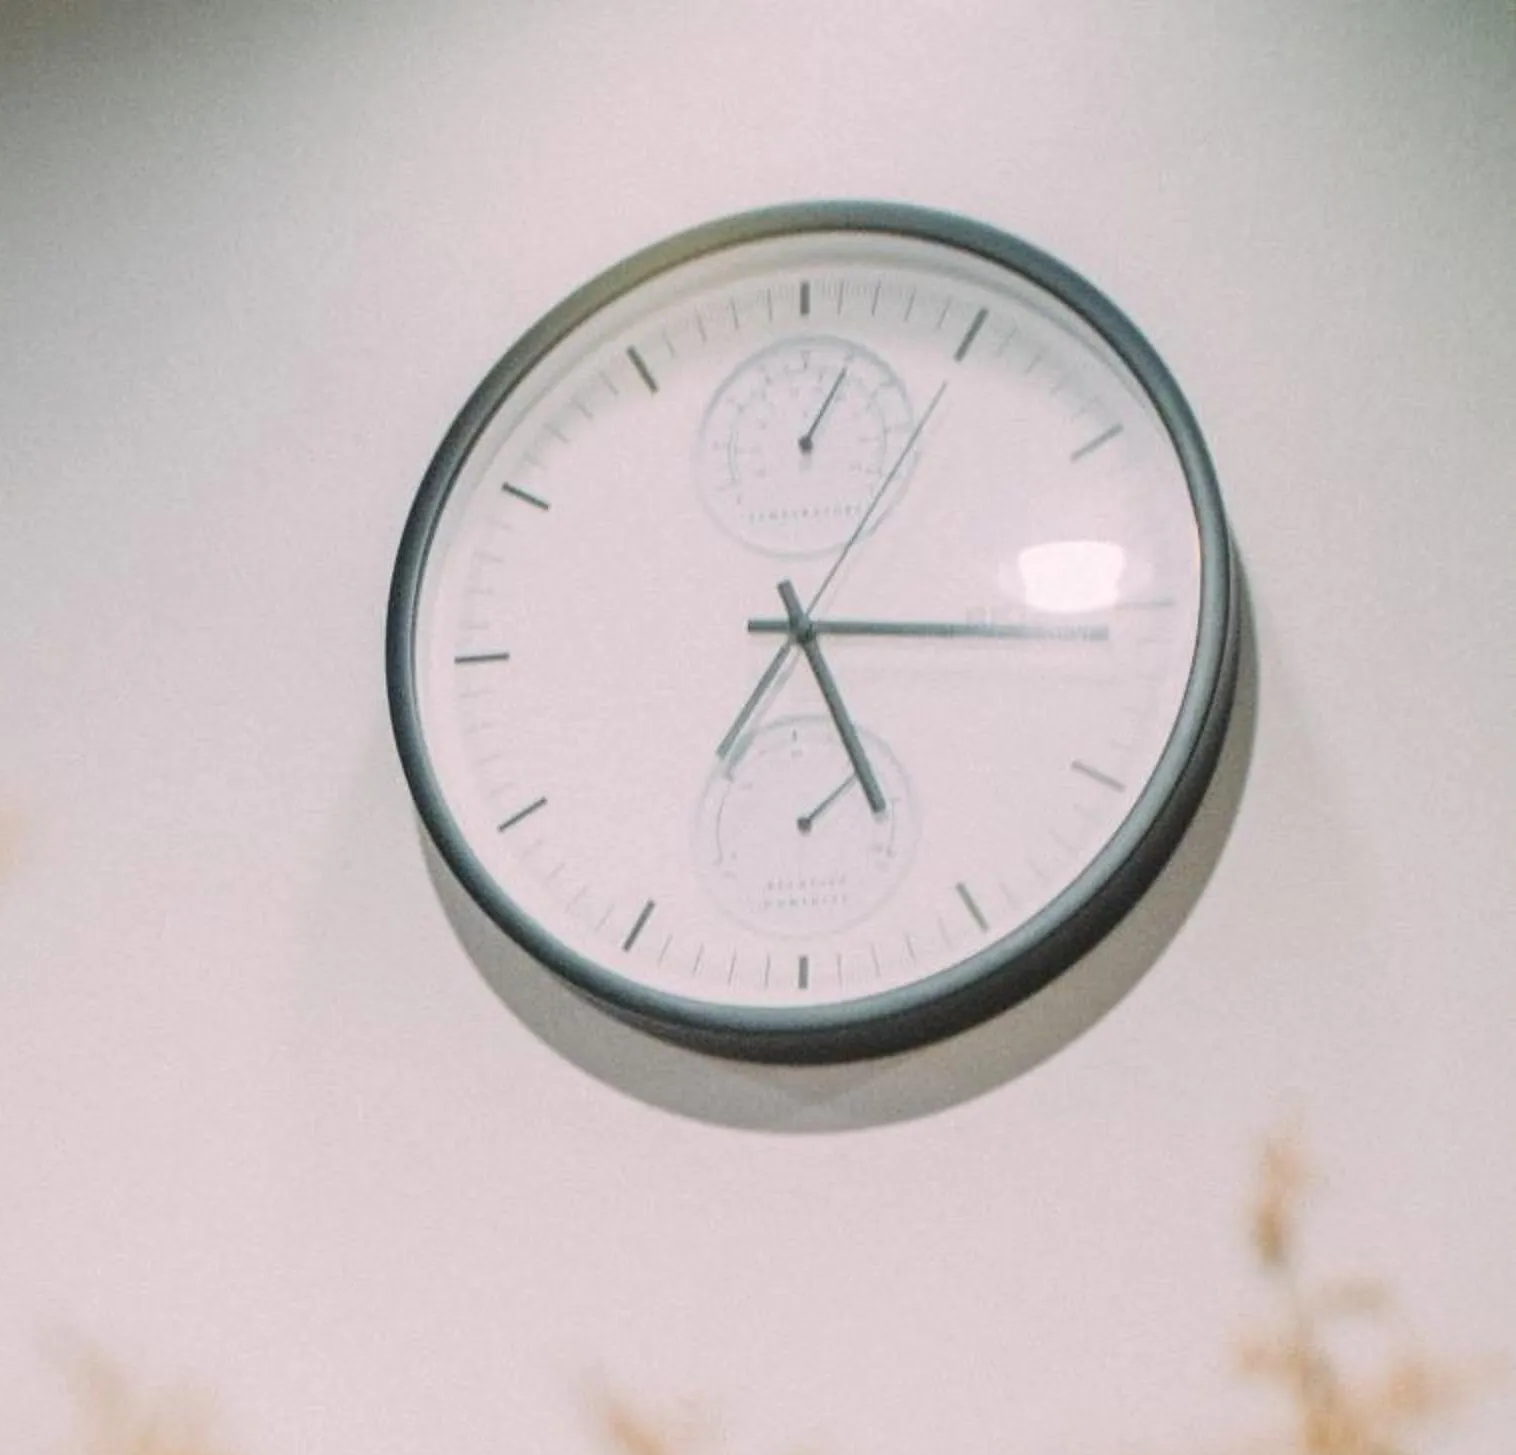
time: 5:15
